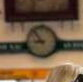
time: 8:53
